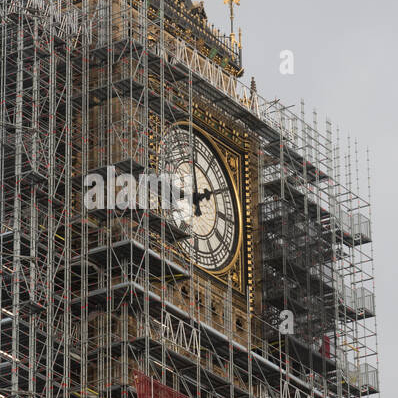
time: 1:59
